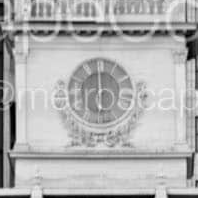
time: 5:59
